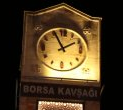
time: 1:55
